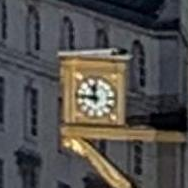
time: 11:45
